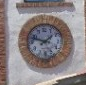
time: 1:47
